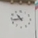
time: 10:43
